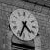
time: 4:33
